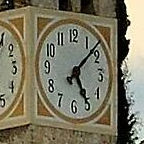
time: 5:07
